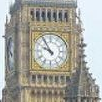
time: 9:54
